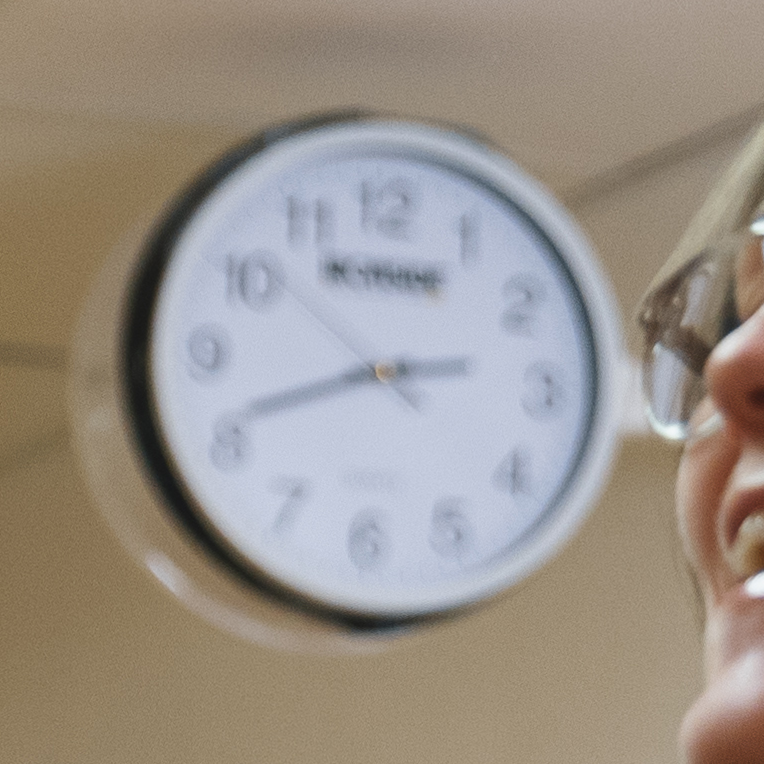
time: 2:41
